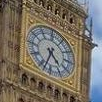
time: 4:33
